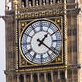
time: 1:21
